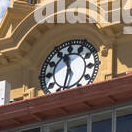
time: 11:32
